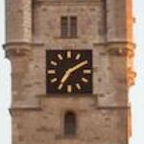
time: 7:09
